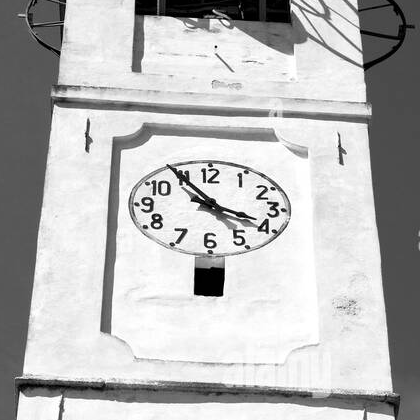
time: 3:54
